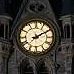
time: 2:09
